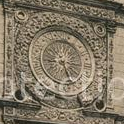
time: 5:26
